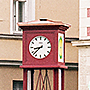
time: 8:38
